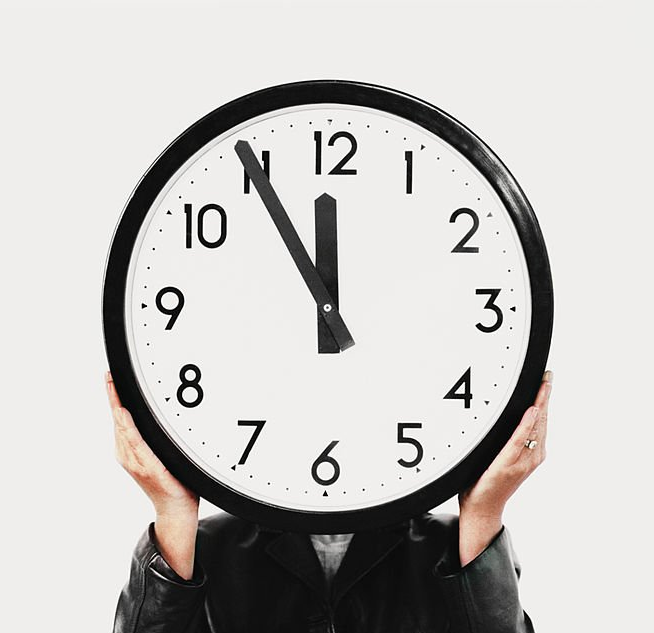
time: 11:54
